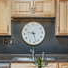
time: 9:27
